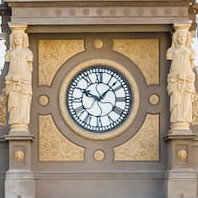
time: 10:07
